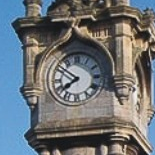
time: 7:51
